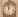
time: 11:32
